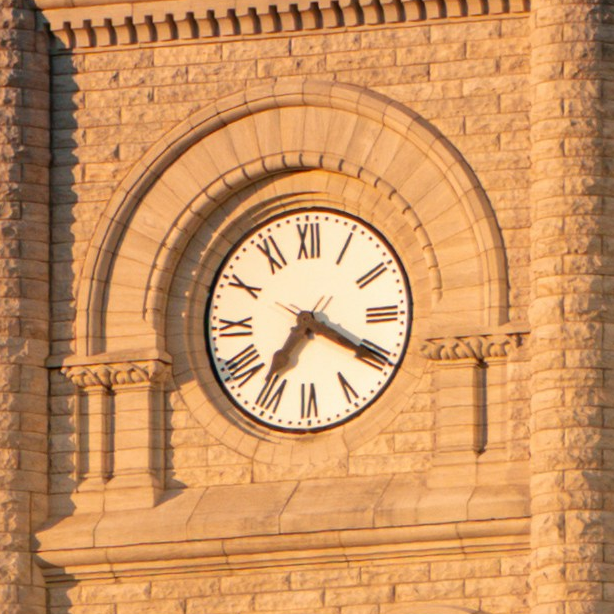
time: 7:19
